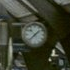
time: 1:37
